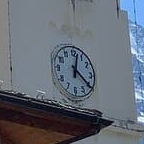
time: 12:20
